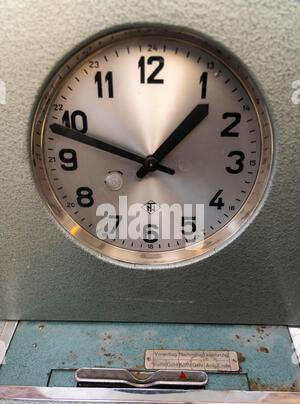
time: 12:48
